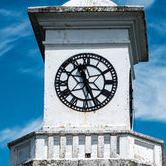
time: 11:25
